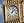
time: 12:07
